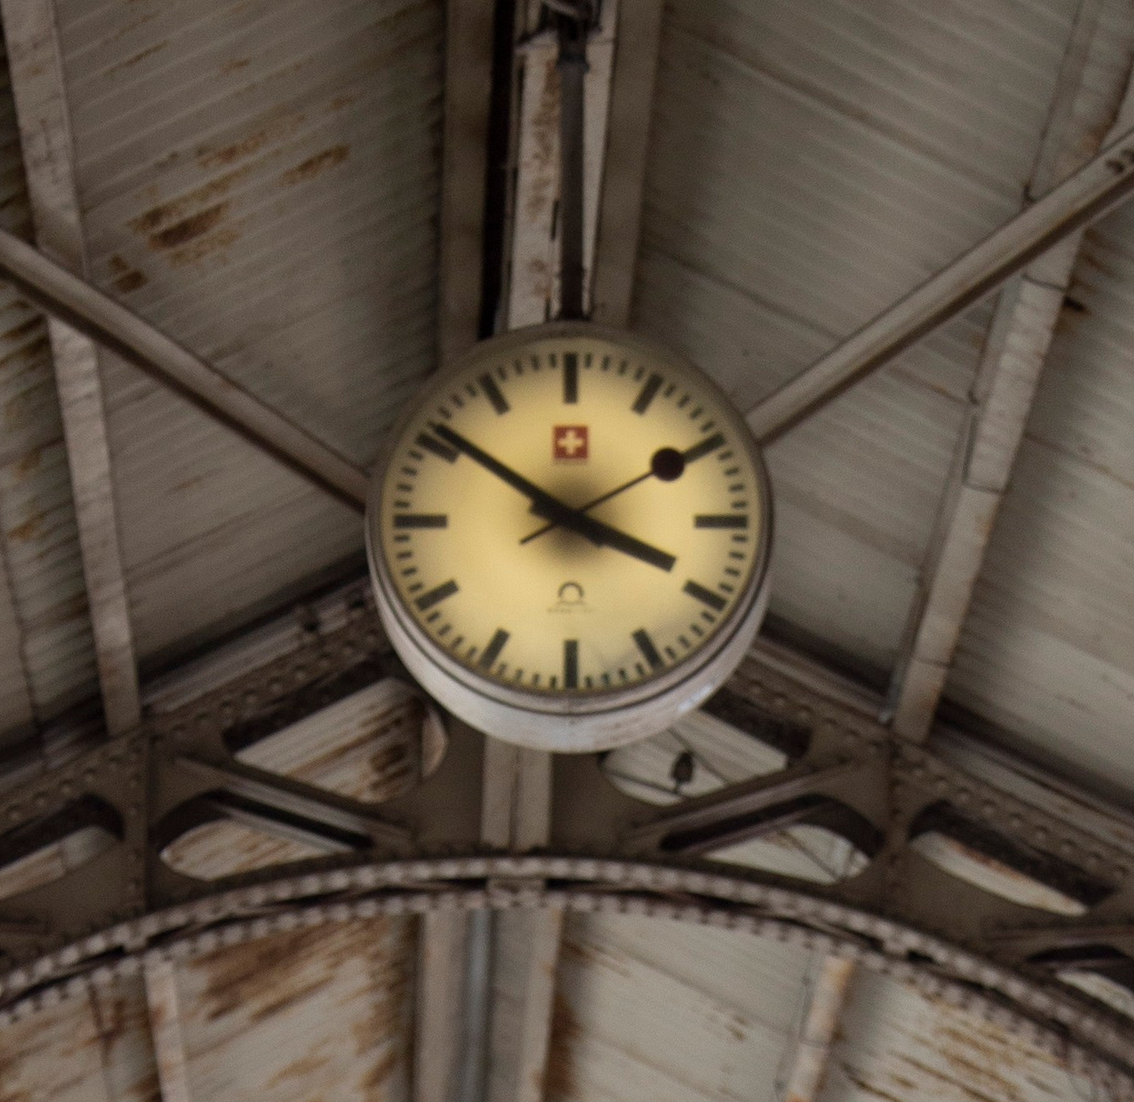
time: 3:51
